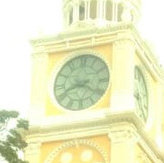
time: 8:20
